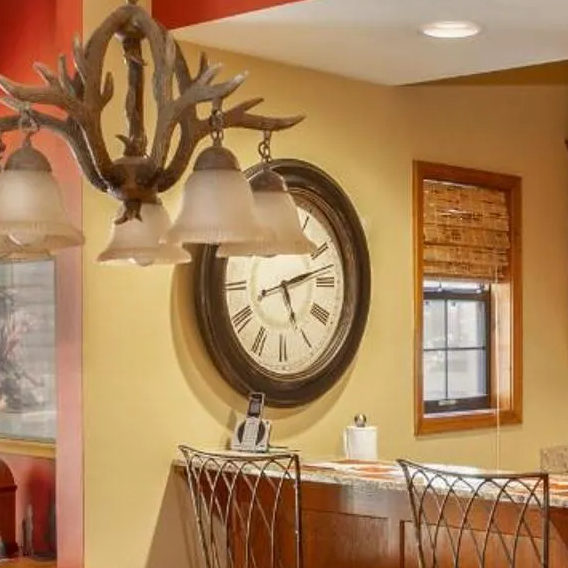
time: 5:12
